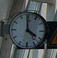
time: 3:59
